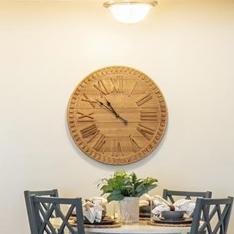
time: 10:50
